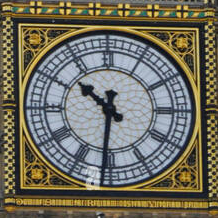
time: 10:31
